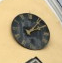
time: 2:06
